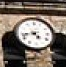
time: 4:42
